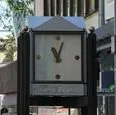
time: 11:03
